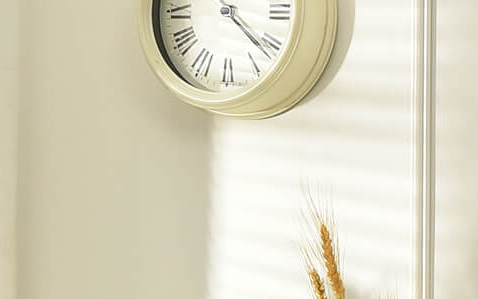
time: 4:22
